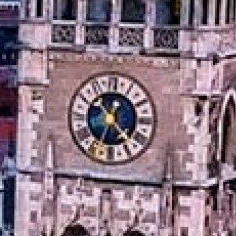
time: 12:23
